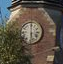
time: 6:00
